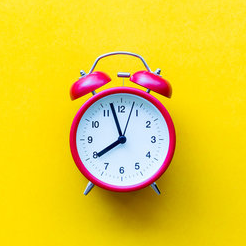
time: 7:57
